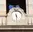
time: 5:30
